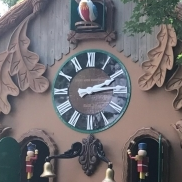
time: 2:13
